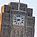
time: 7:45
